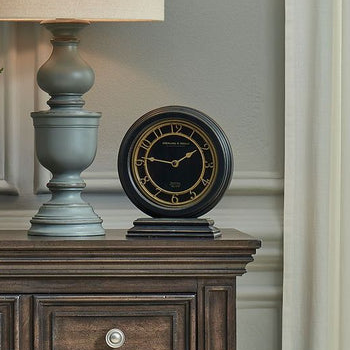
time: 1:46
